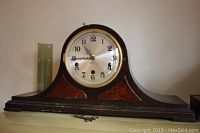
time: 10:43
